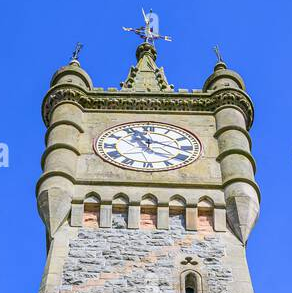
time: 11:17
